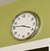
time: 3:46
